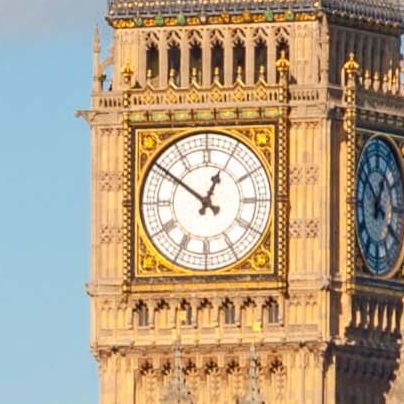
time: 12:51
